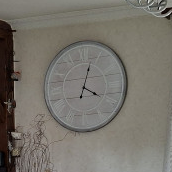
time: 4:02
